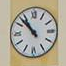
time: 10:52
